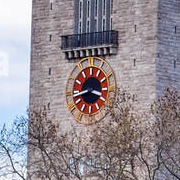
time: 3:43
